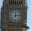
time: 12:13
